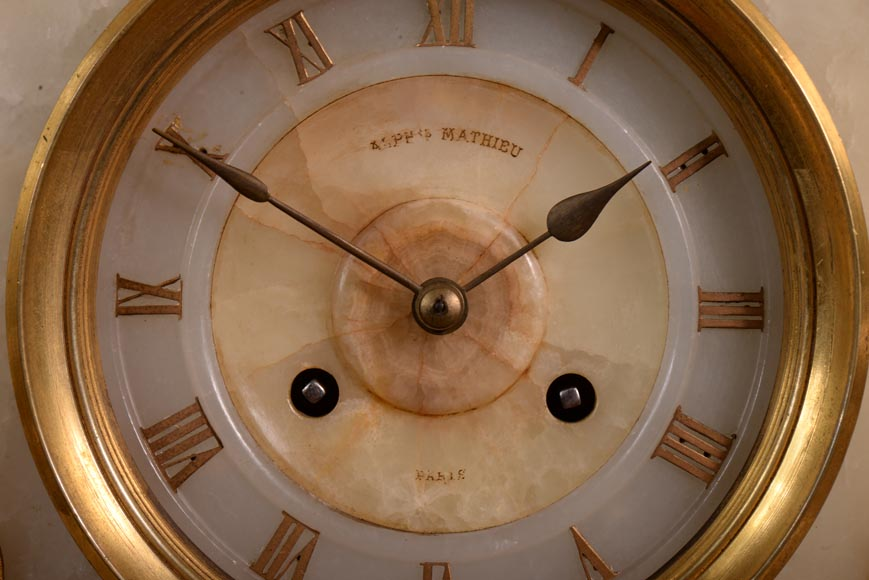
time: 1:50
